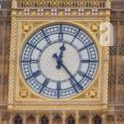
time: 12:23
